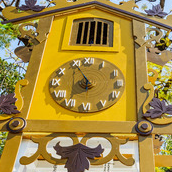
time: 5:55
